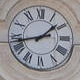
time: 1:43
